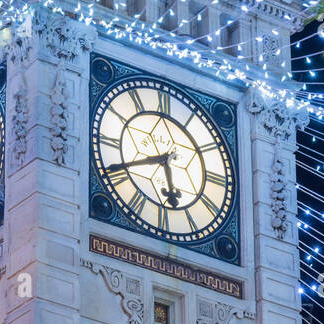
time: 5:40
